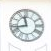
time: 11:42
